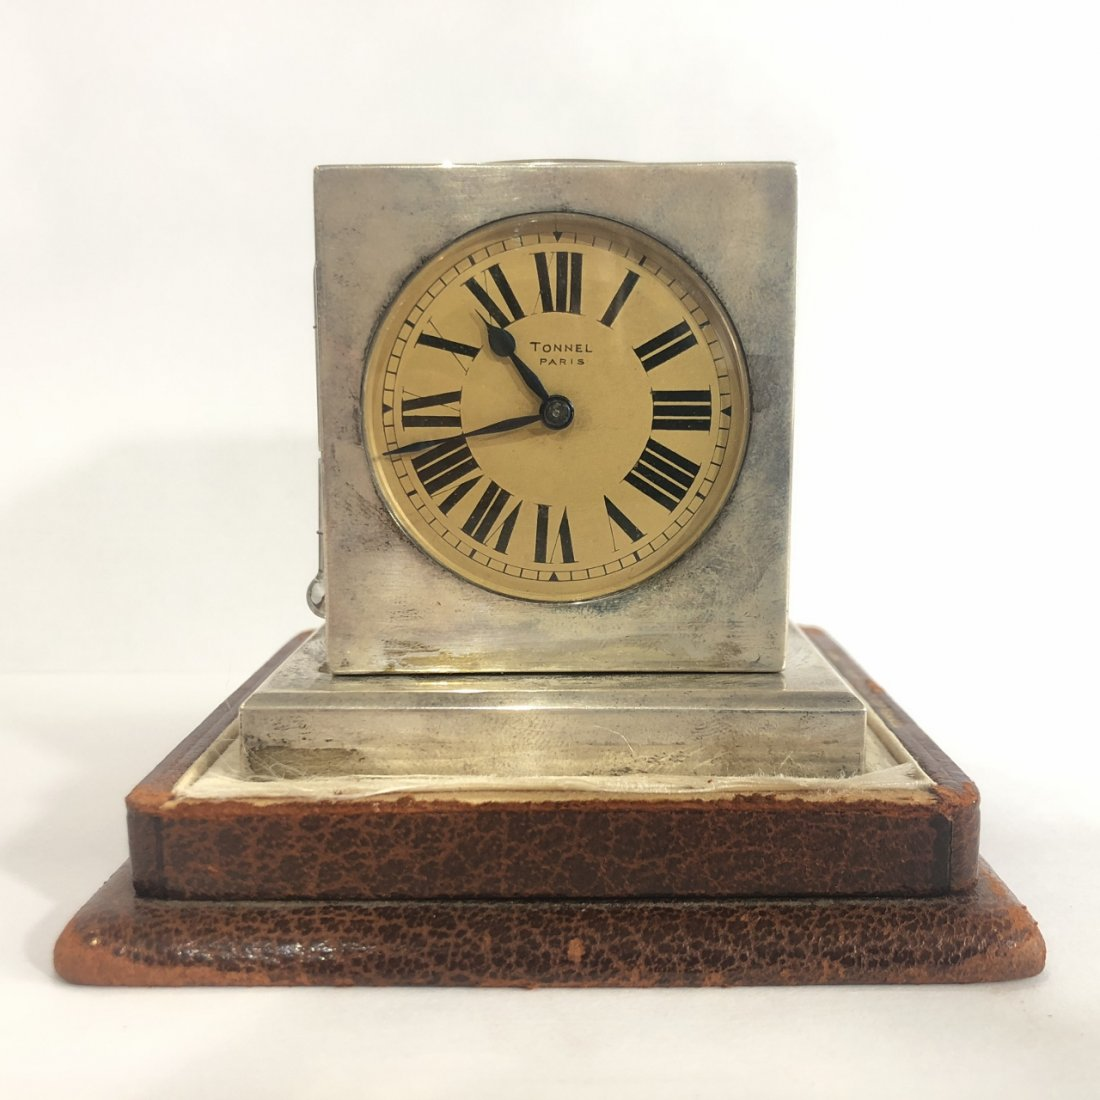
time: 10:42
